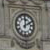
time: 12:10
